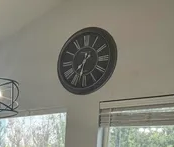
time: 7:32
